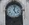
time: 5:02
